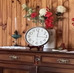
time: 12:16
